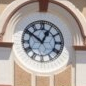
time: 12:51
